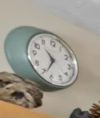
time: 10:34
